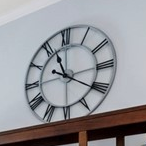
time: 11:20
